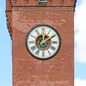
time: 12:09
